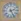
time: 2:25
